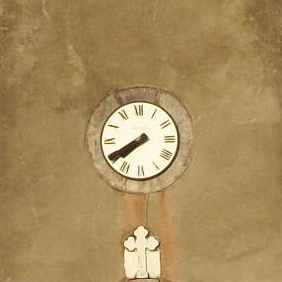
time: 7:40
